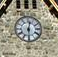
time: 12:29
